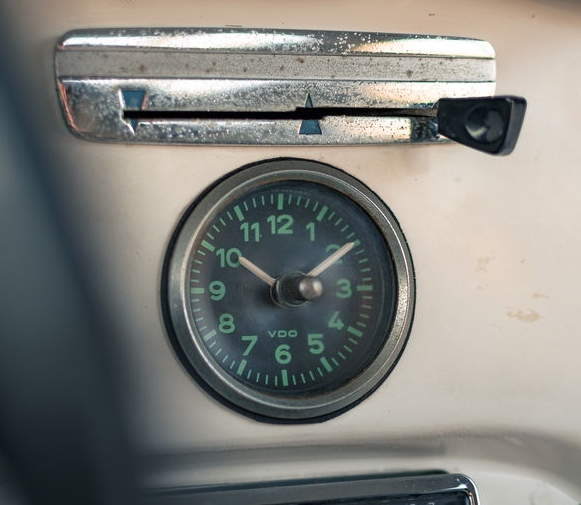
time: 10:09
